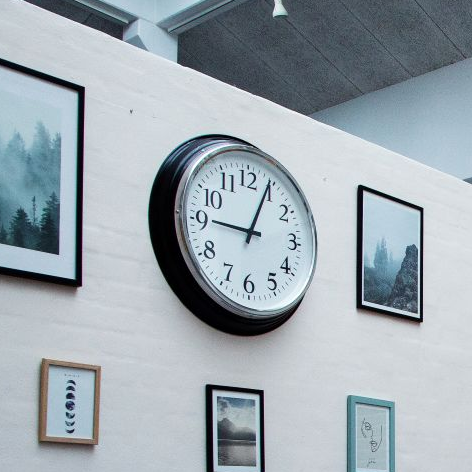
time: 9:04
